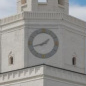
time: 1:42
